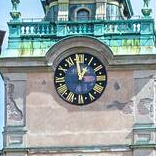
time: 12:58
